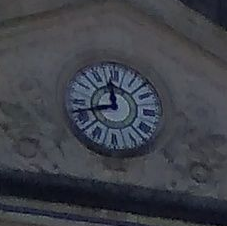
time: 11:42
